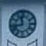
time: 11:42
